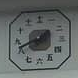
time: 1:41
